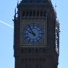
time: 9:54
